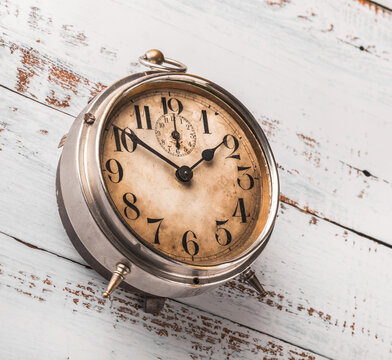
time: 1:50
